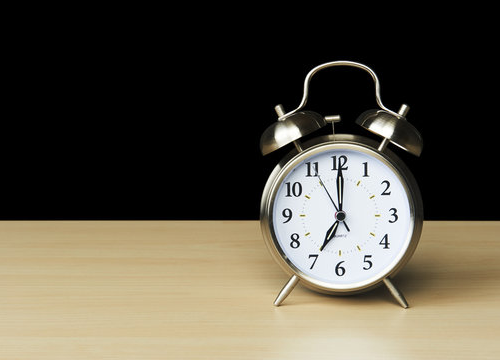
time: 7:00
